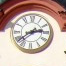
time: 2:38
